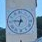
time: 6:46
